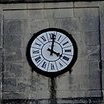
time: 4:01
